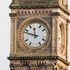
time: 11:47
